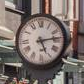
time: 5:13
